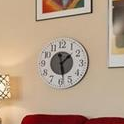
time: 1:28
